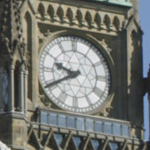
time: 9:40
